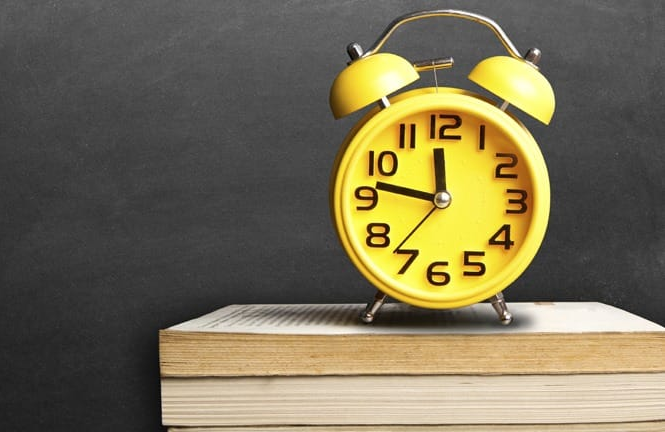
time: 11:46
